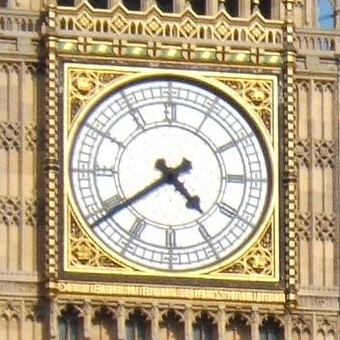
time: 4:38
